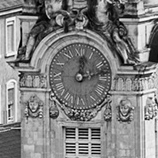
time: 12:12
